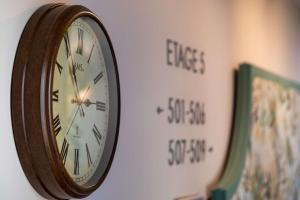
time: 2:55
